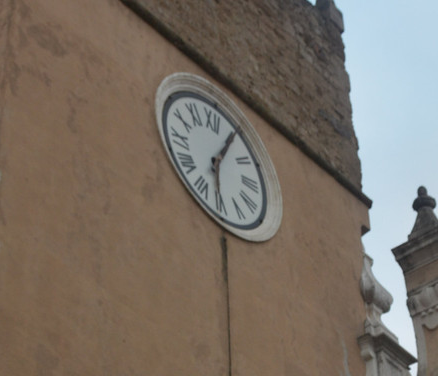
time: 6:05
